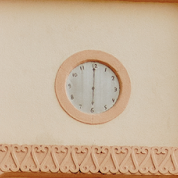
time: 6:00
